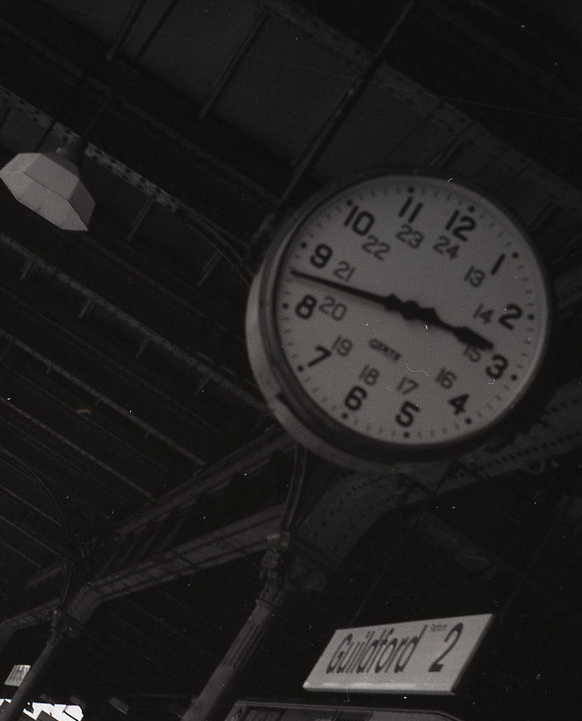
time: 3:47
